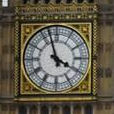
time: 3:57
